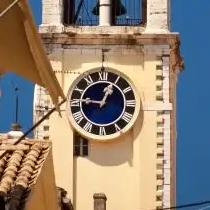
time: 12:46
